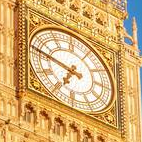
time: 6:47
